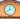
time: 11:40
